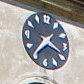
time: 7:18
